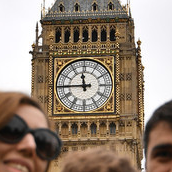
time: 11:44
